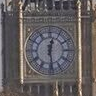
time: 12:28
